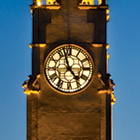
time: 4:57
